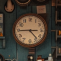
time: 4:44
